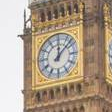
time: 12:07
